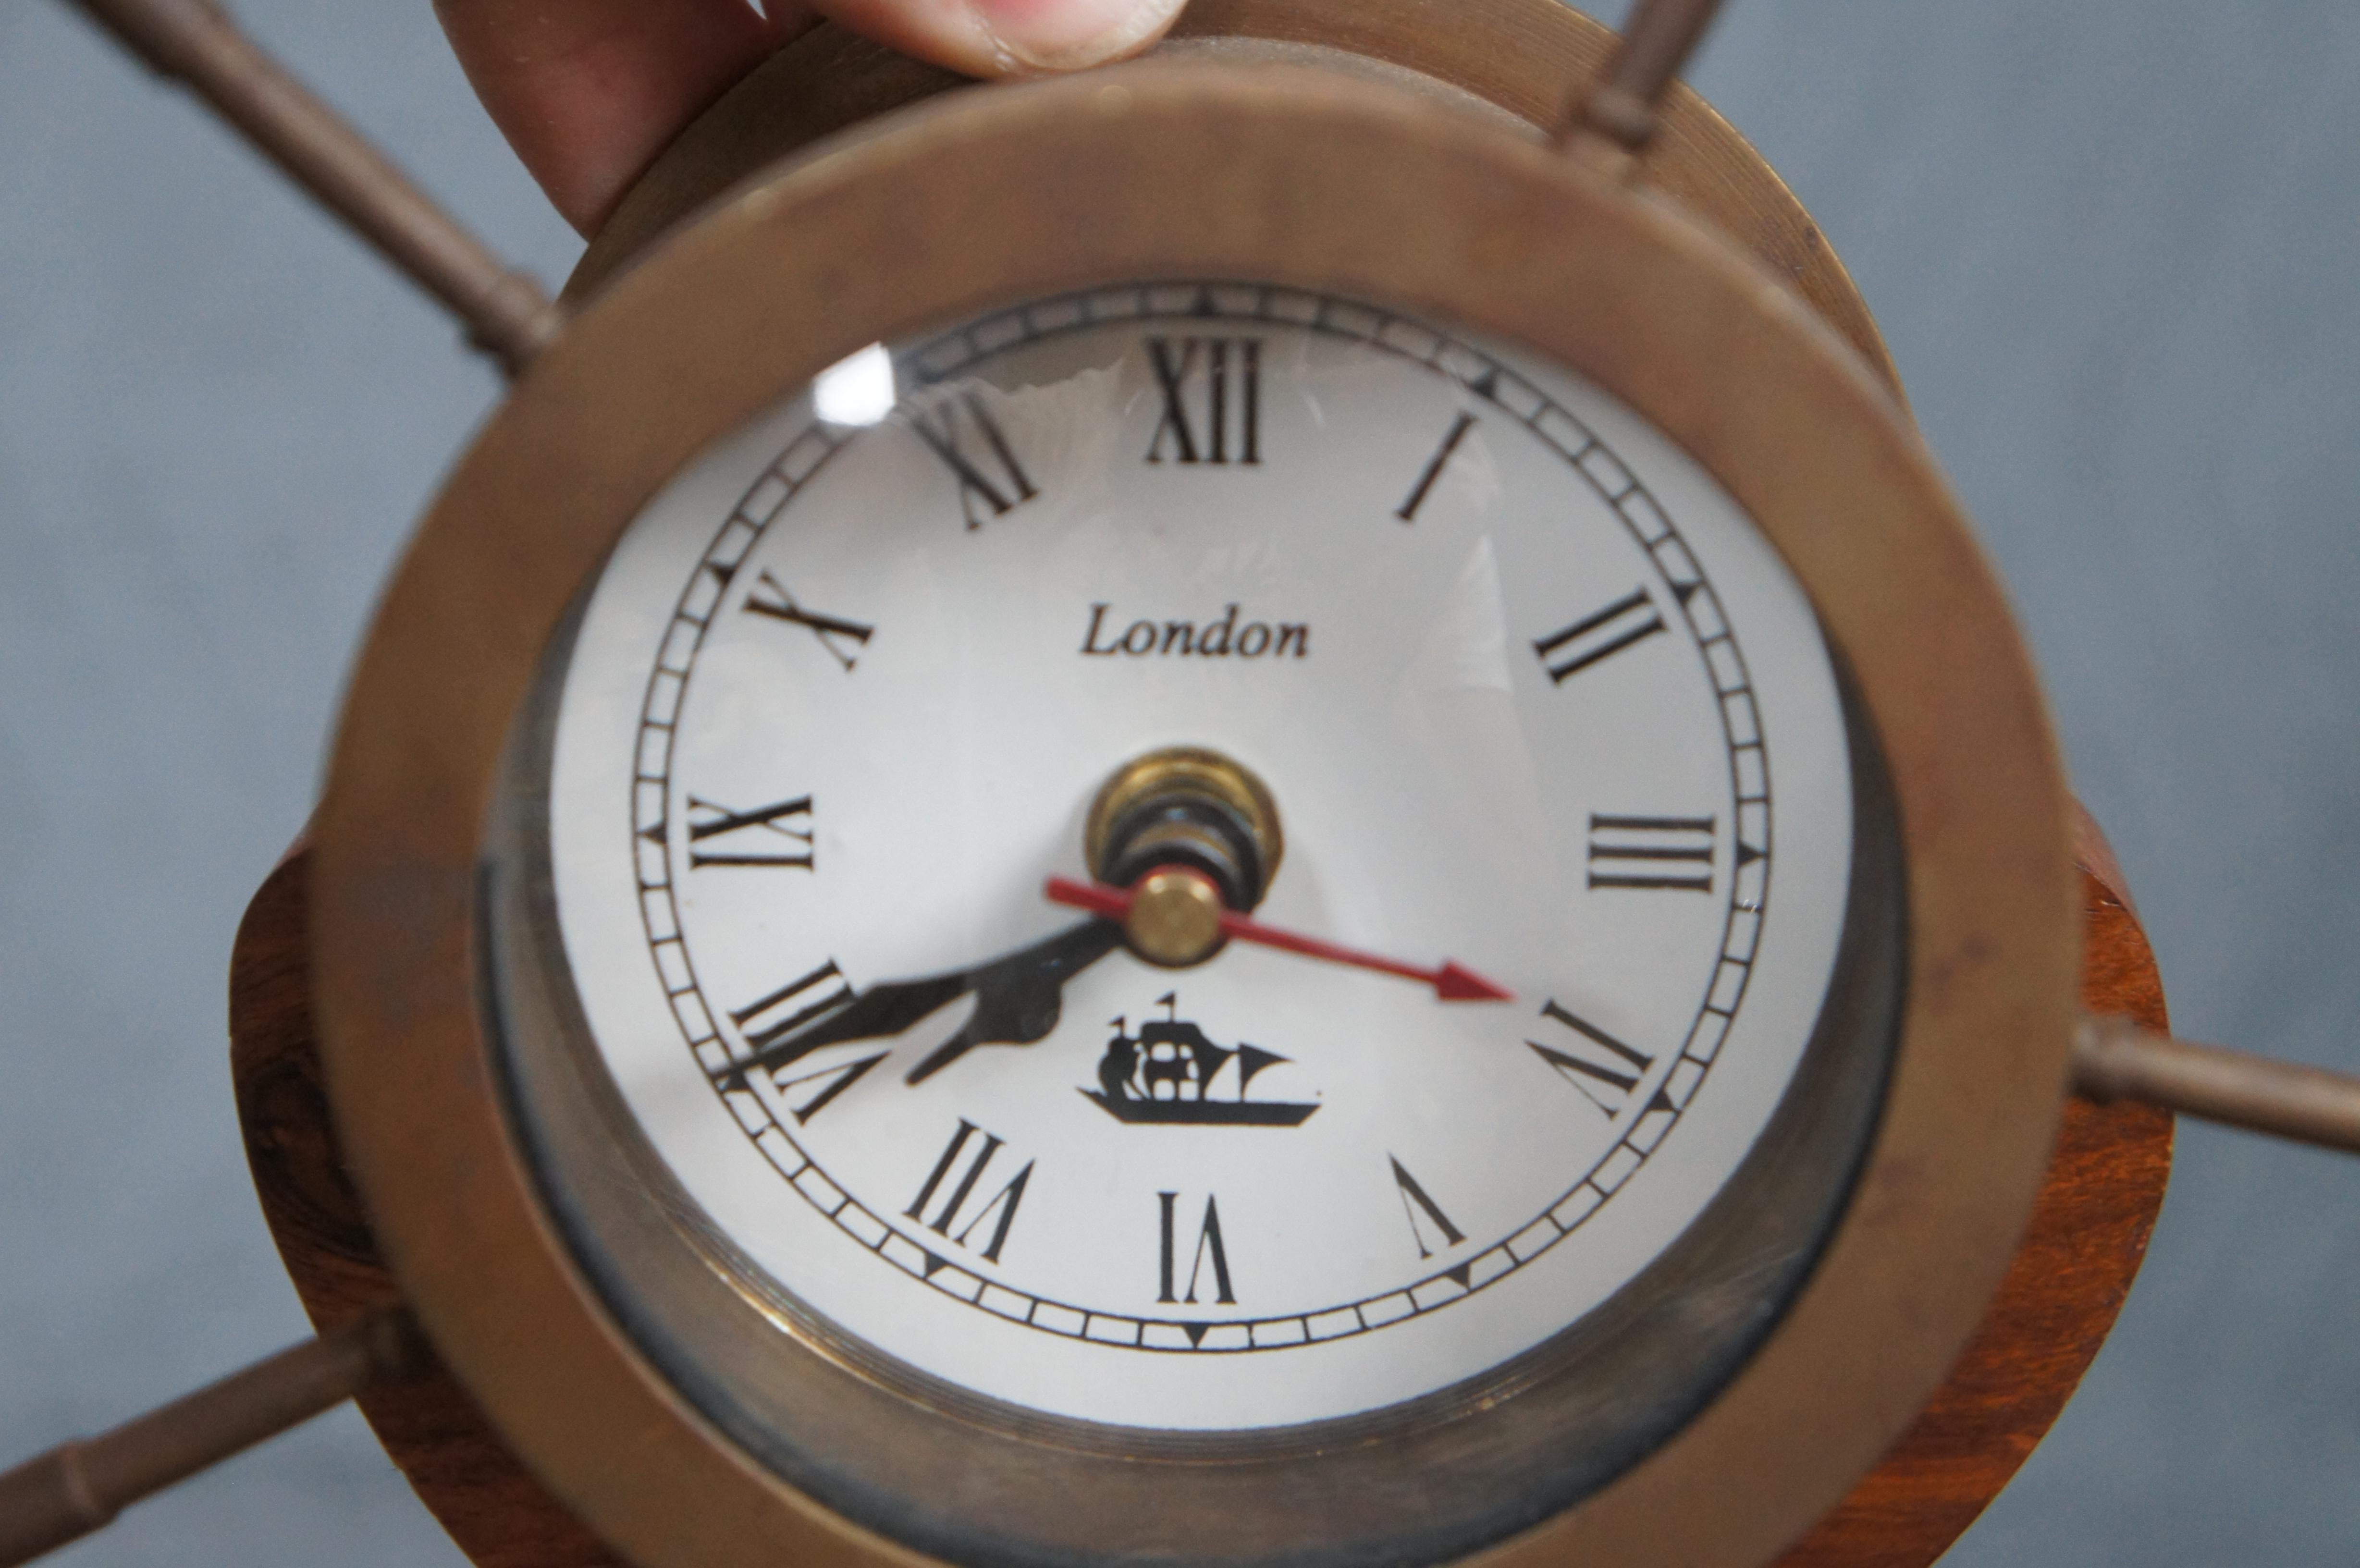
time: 7:40
